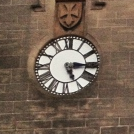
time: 5:15
